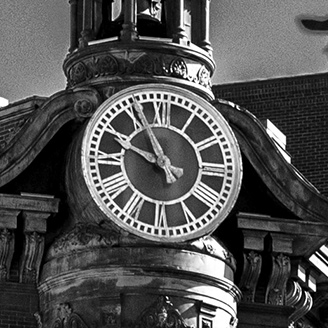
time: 9:55
